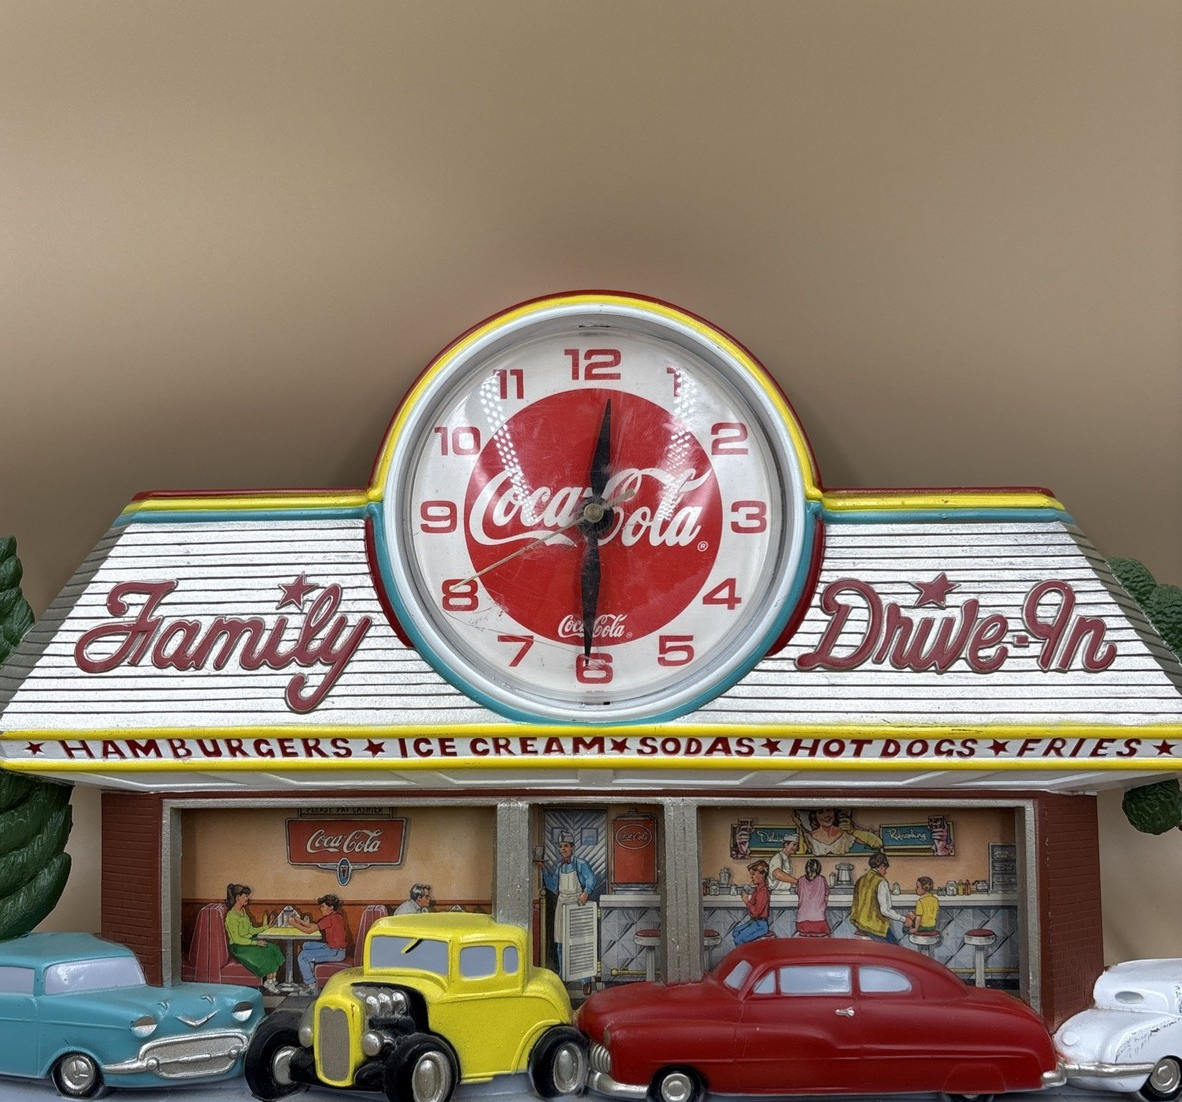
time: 12:30
